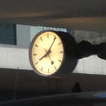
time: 8:05
